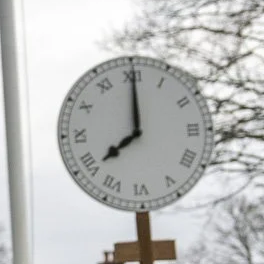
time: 8:00
